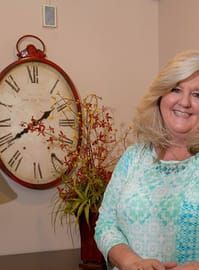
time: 1:39
